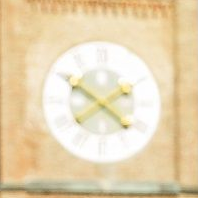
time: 1:50
